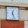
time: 12:26
